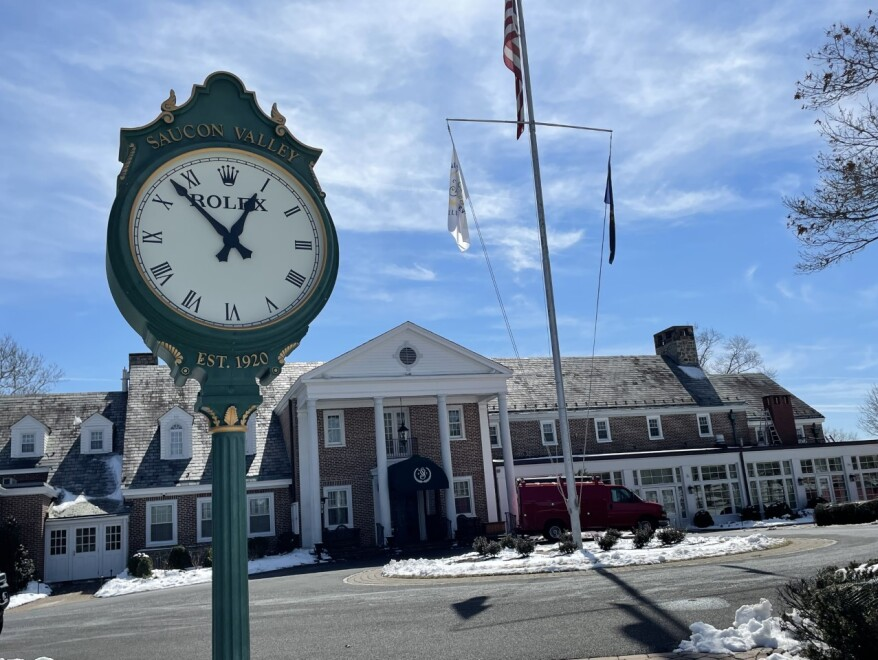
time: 12:52
